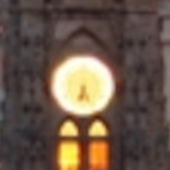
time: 6:25
